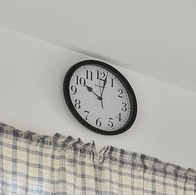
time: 10:02
